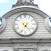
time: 4:35
